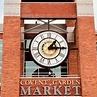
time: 1:14
